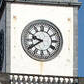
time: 9:39
